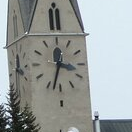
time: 3:32
